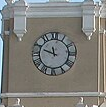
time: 11:48
